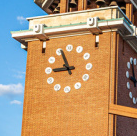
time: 8:56
